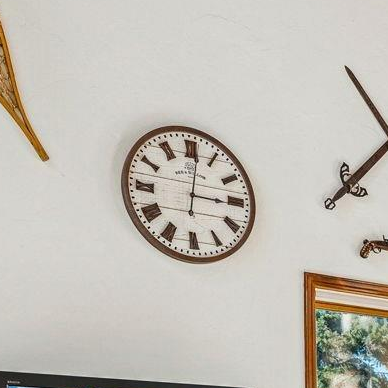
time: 3:01
